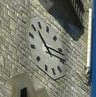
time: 11:17
